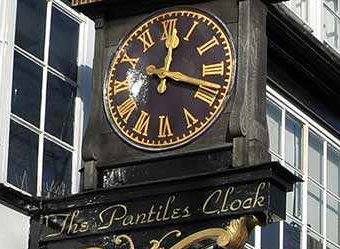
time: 12:18
